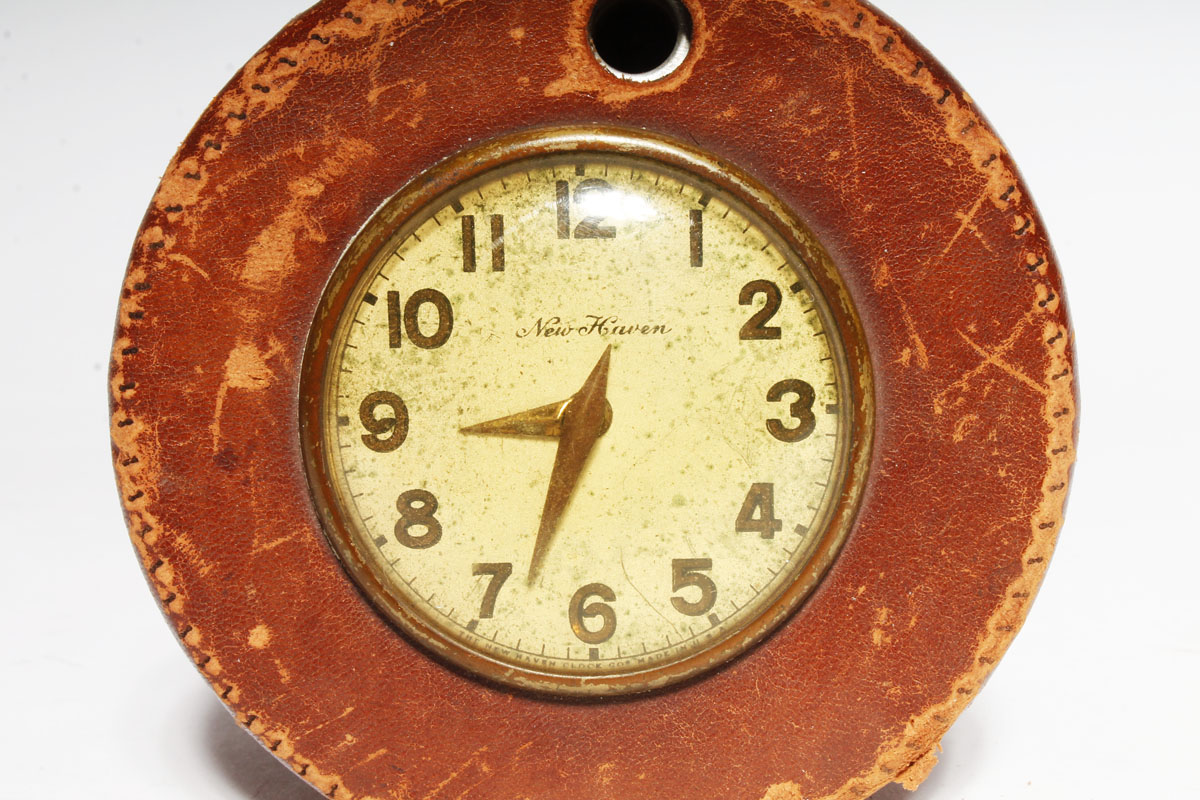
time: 8:33
